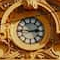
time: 2:45
